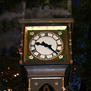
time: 9:22
